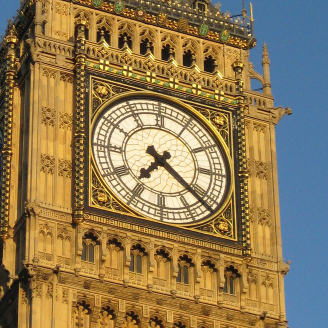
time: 7:21
